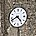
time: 4:41
